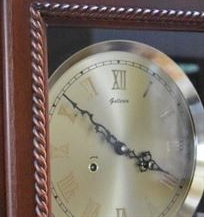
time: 3:50
